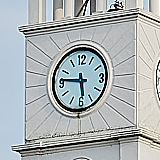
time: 5:46
